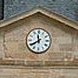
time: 11:39
